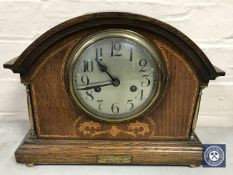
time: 10:42
